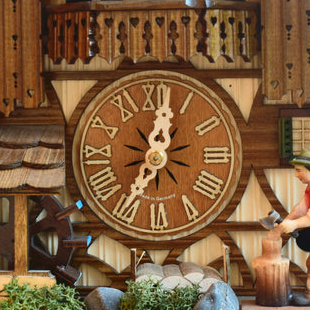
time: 12:35
